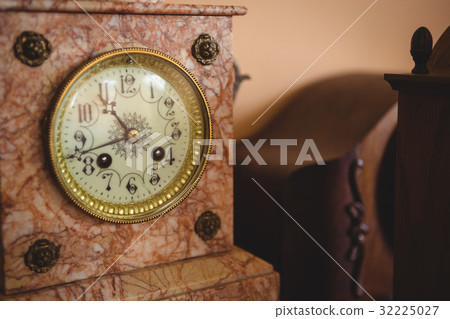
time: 10:42
